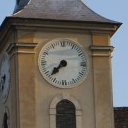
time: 7:37
